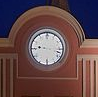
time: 9:17
